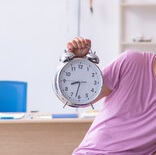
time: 8:32
